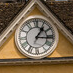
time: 1:16
